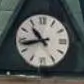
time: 10:42
